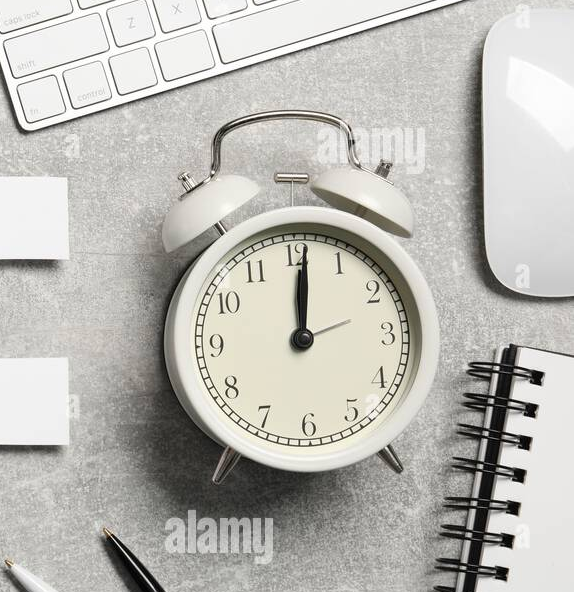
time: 12:01
